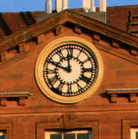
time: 11:48
